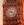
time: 9:22
